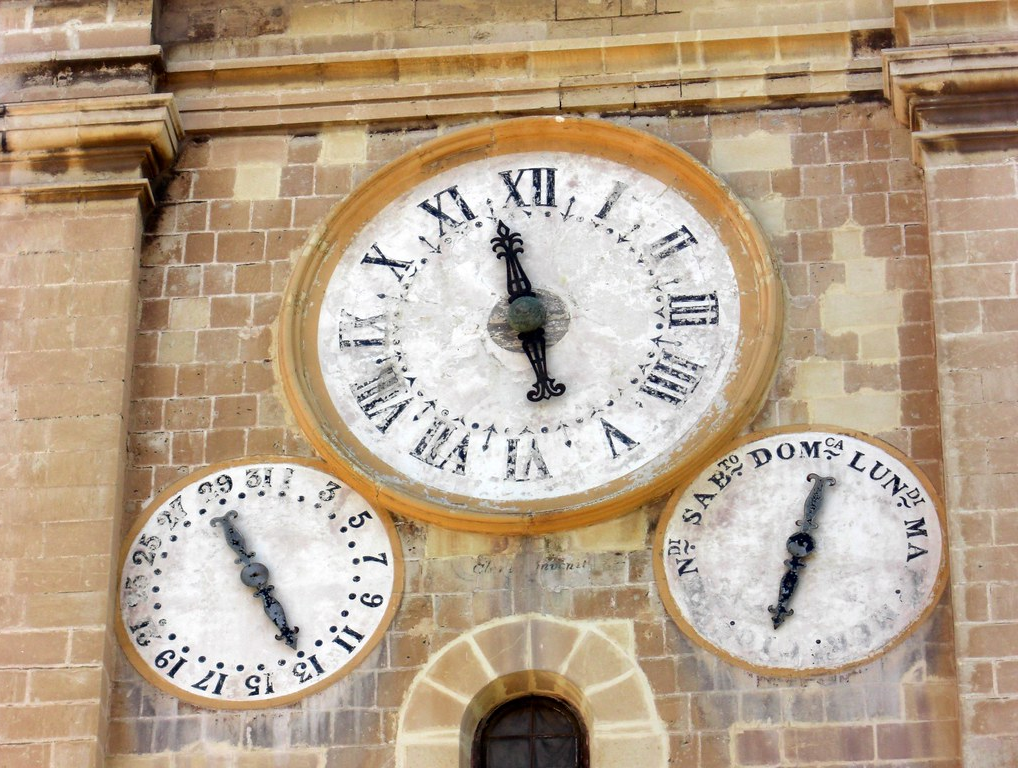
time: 5:57
